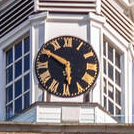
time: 5:49
